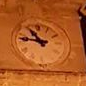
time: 10:46
